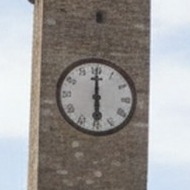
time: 5:59
